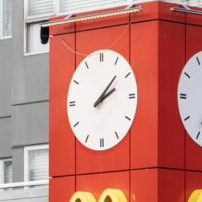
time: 2:07
